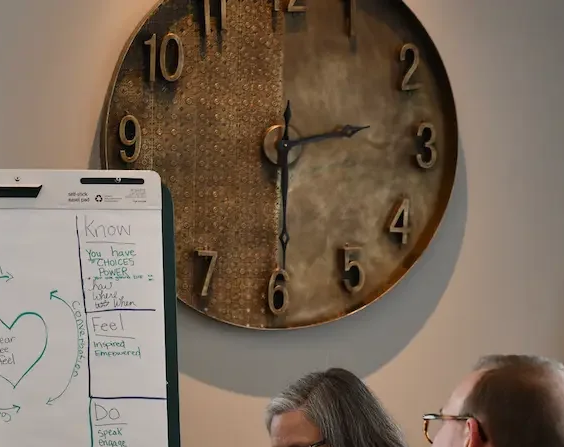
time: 2:29
